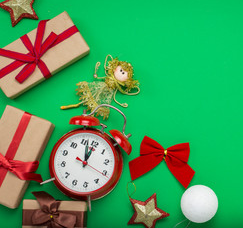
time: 1:02
